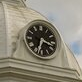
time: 3:33
